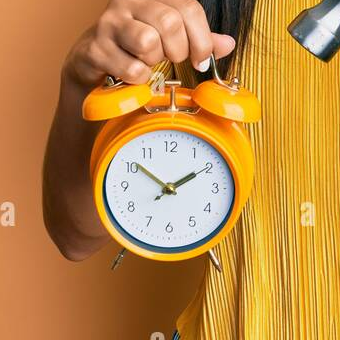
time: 1:51
